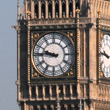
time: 9:45
